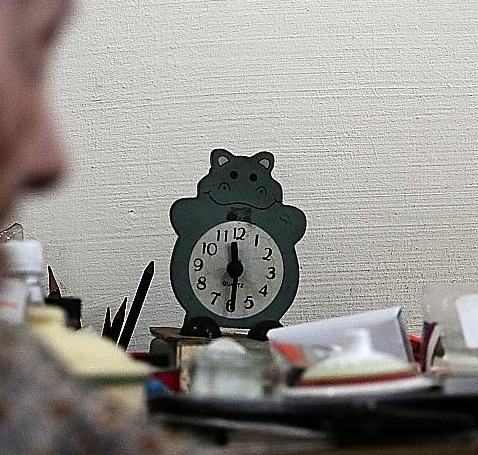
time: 11:29
